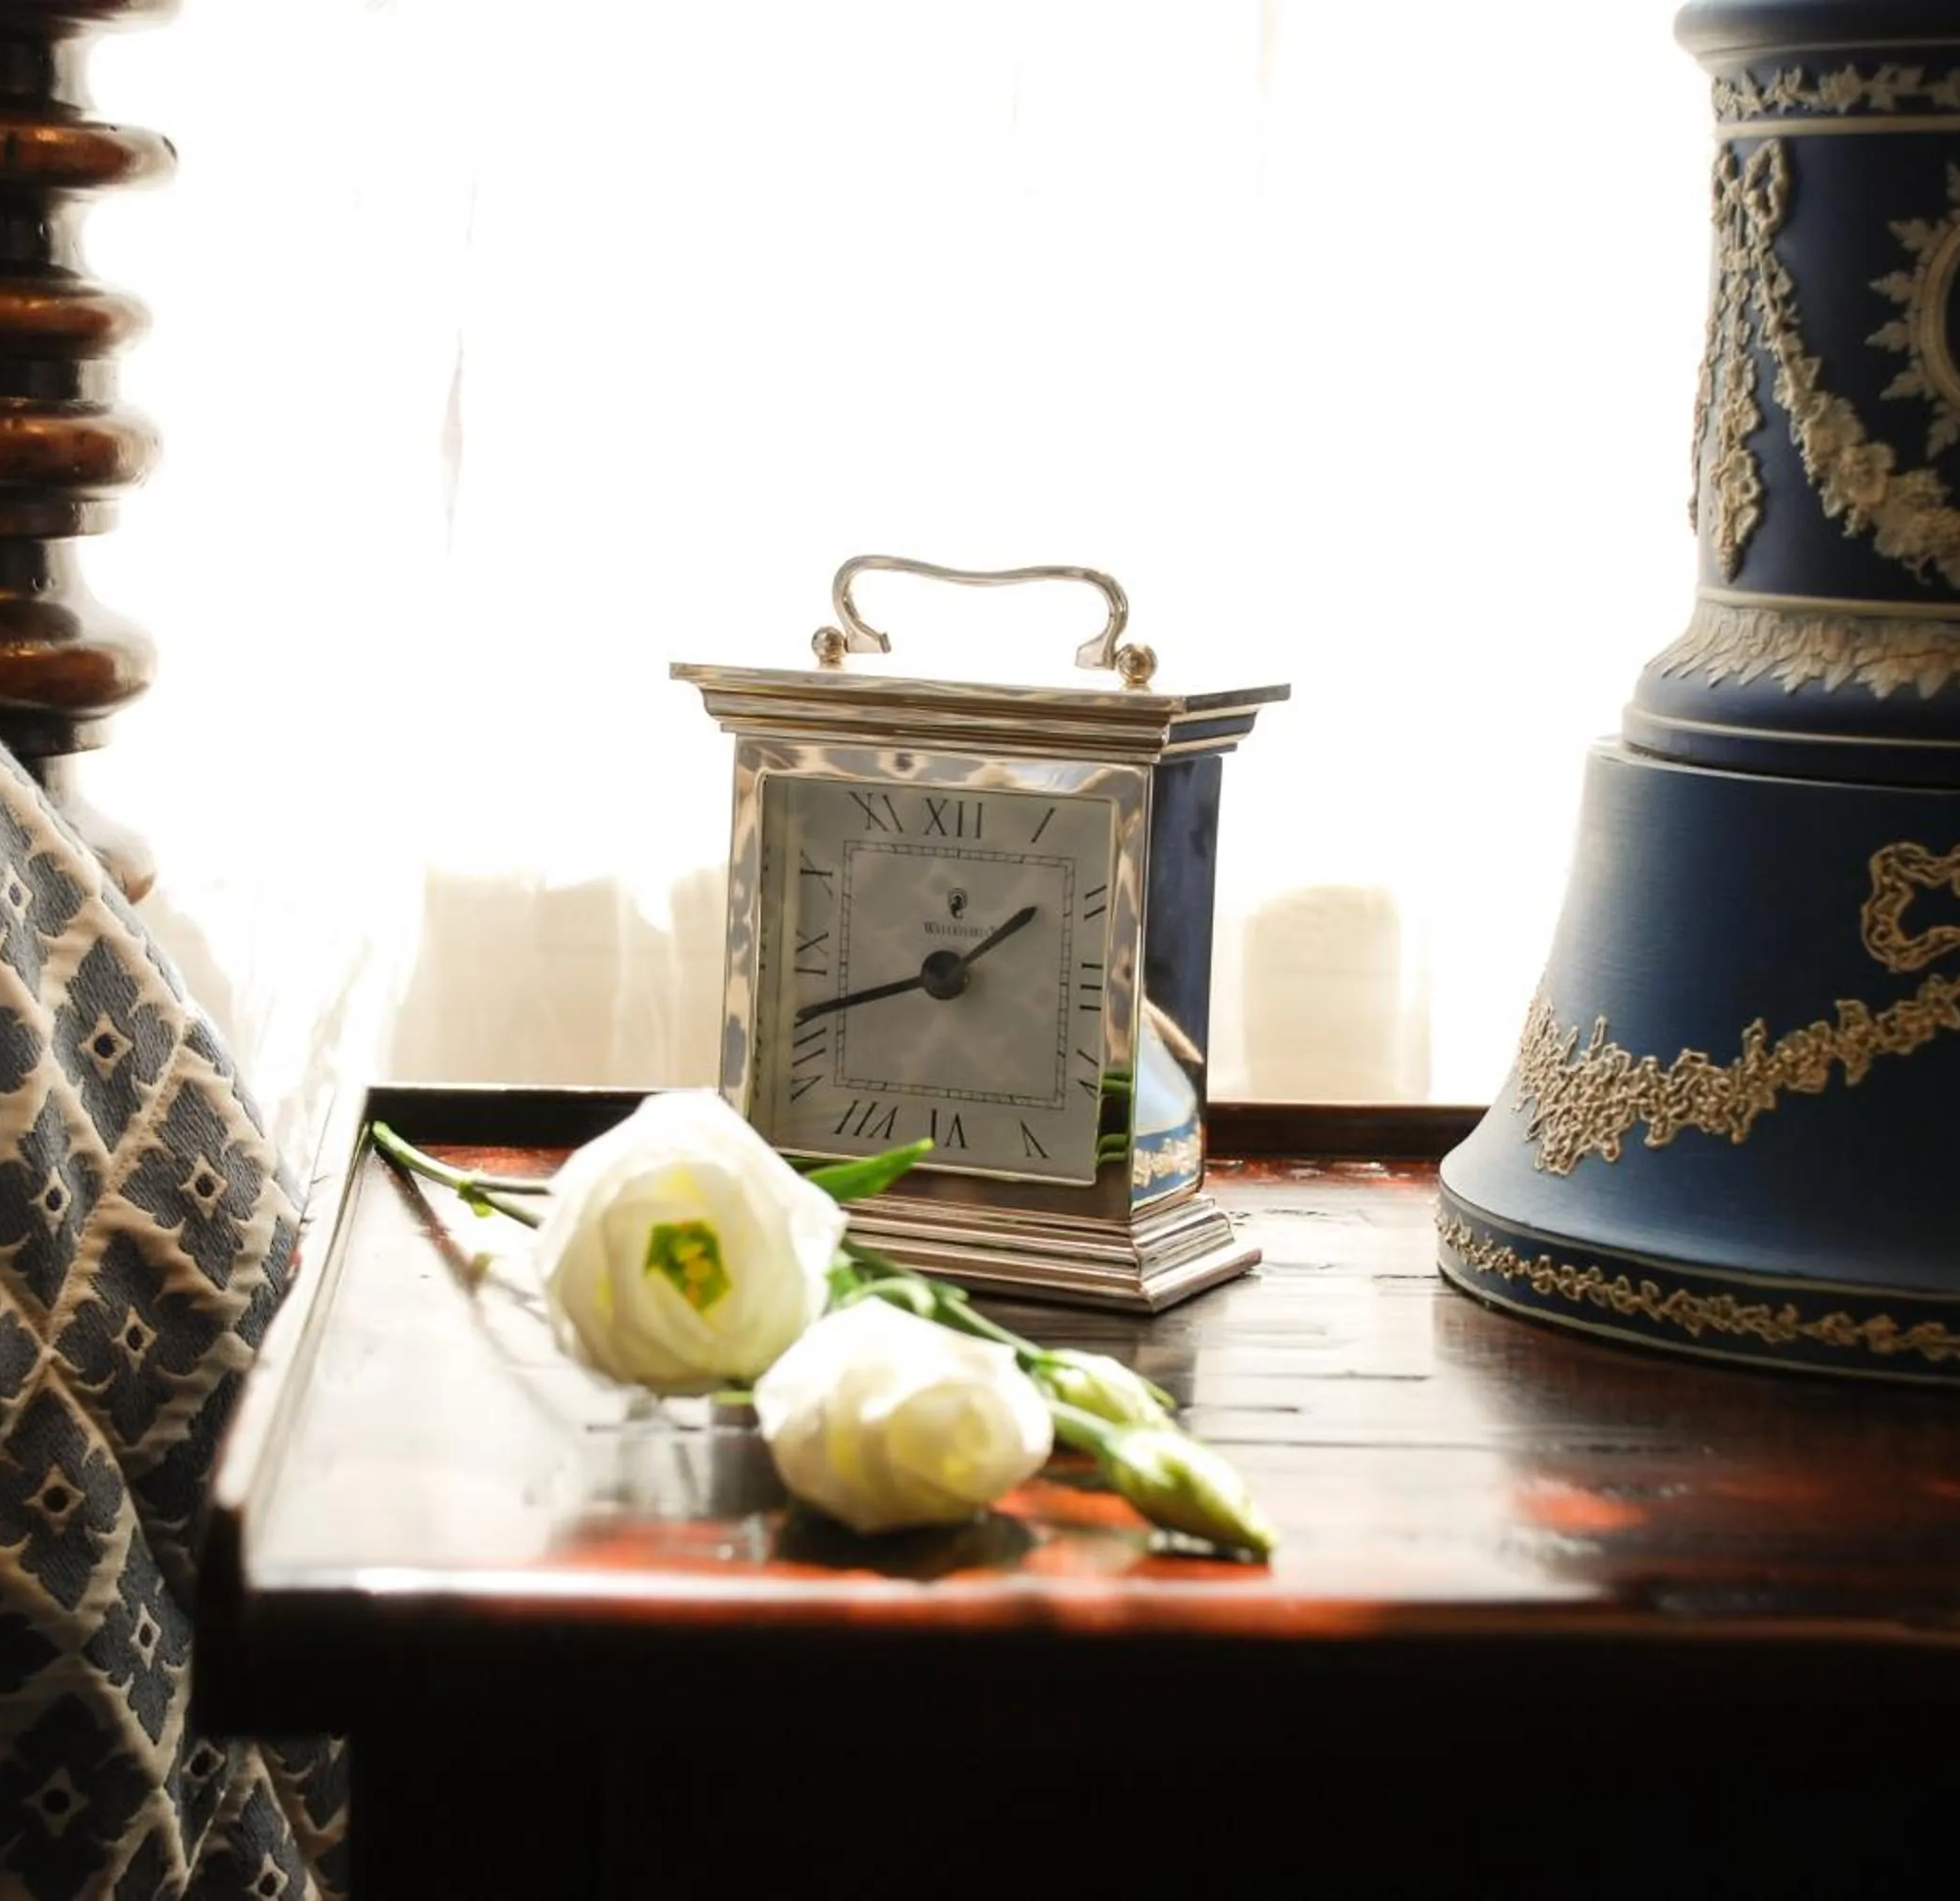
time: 1:41
